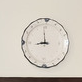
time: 8:59
